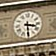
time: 3:29
